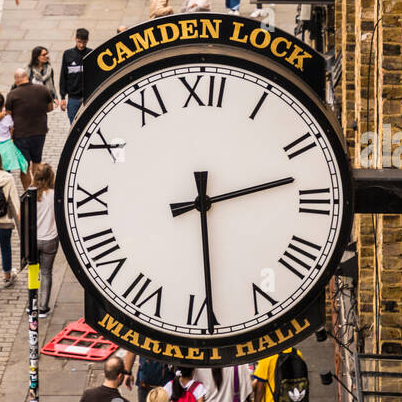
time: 2:29
